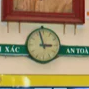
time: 2:57
